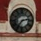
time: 2:36
